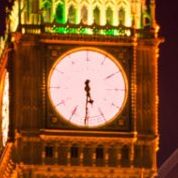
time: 5:30
